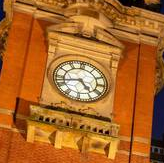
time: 4:42
